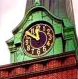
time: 11:49
